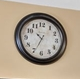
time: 10:34
